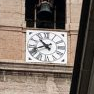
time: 10:41
